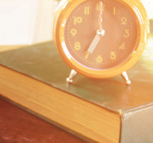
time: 7:00
